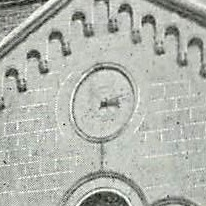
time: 3:12
